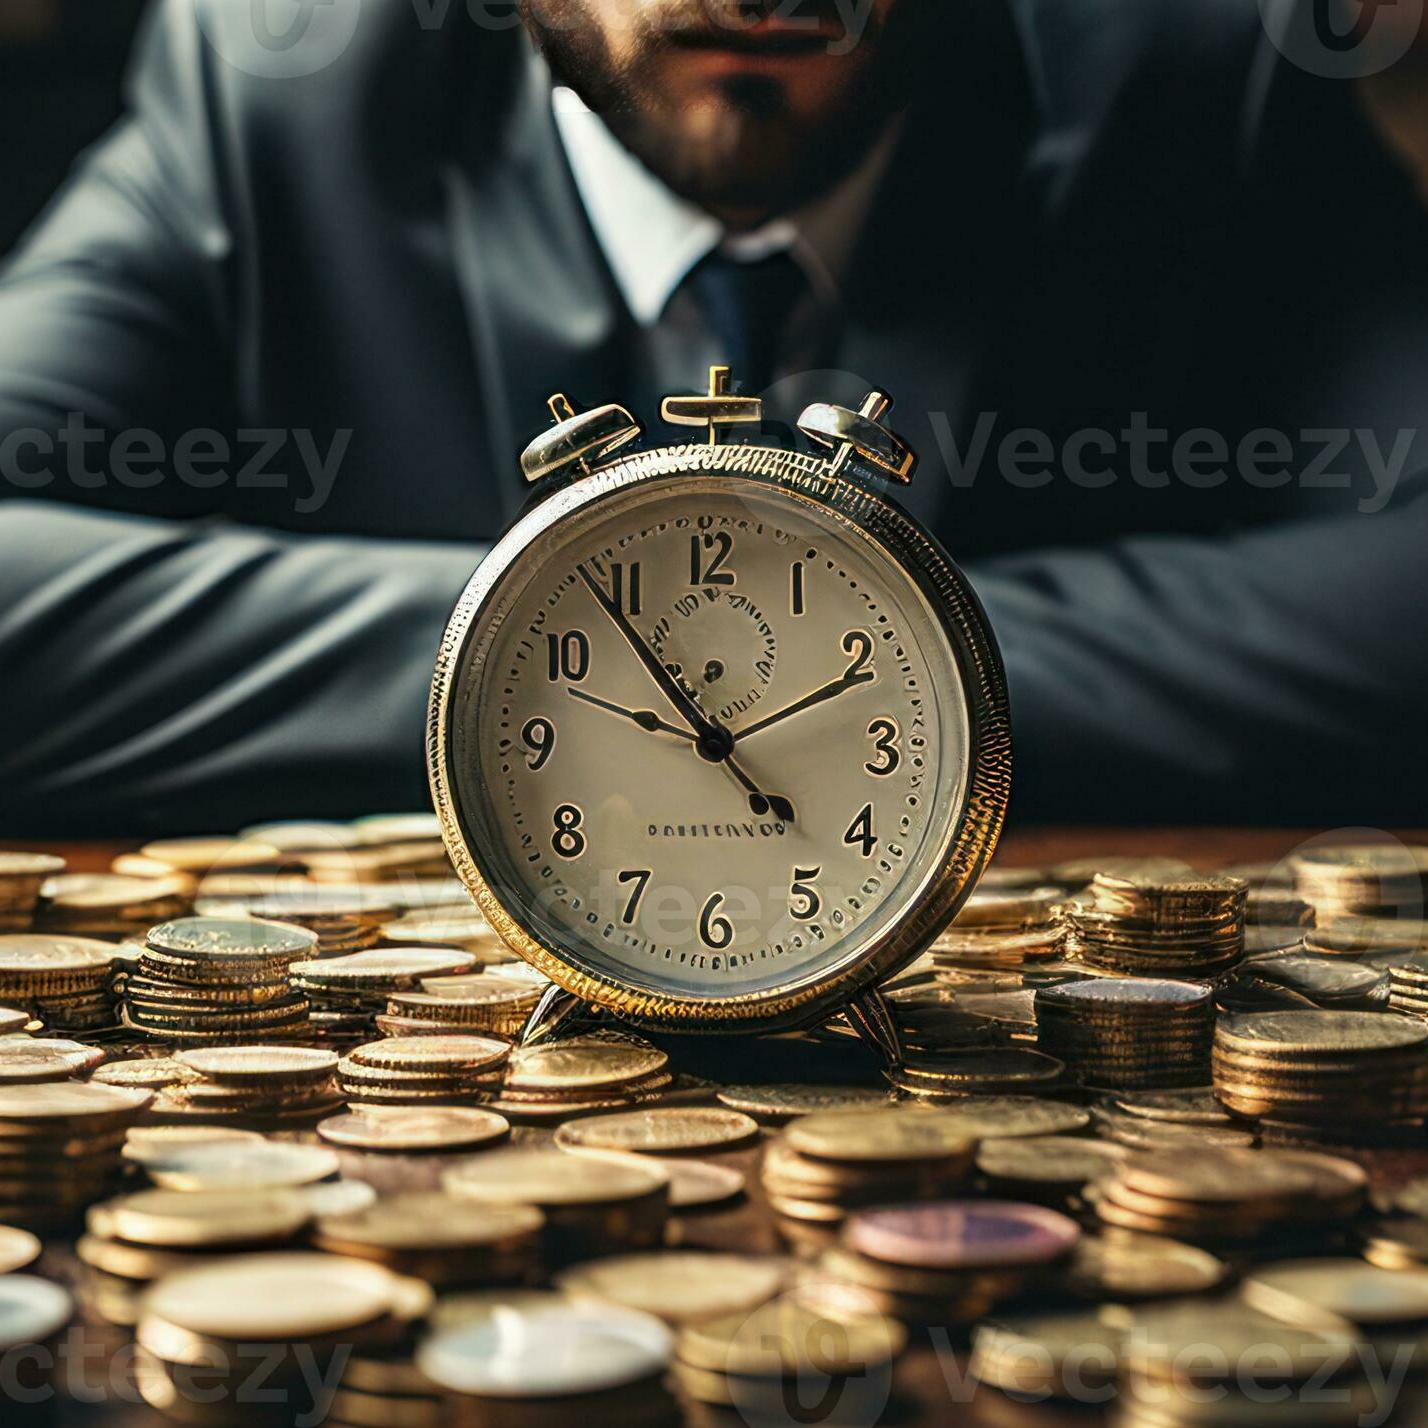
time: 9:53
